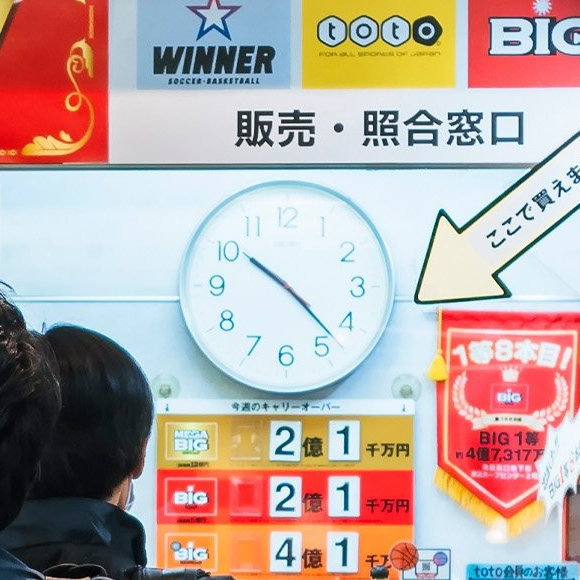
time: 10:22
